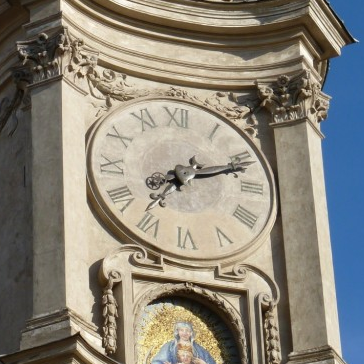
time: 7:11
